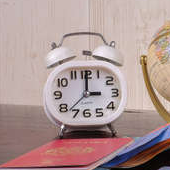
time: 3:00
